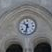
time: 10:32
